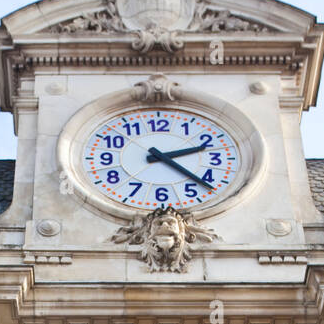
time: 2:21
